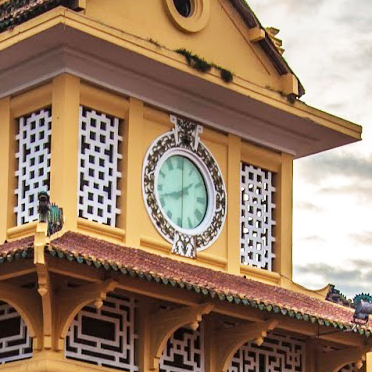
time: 8:09
